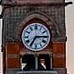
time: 7:15
